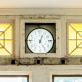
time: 5:03
